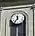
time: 11:36
